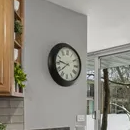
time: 7:46
